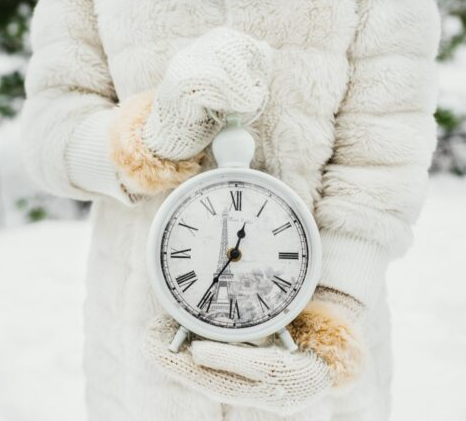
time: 12:35
